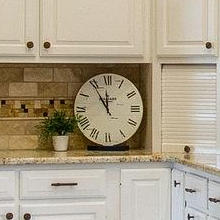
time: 11:54
